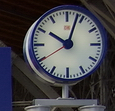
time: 10:03
